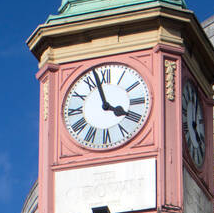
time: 3:57
